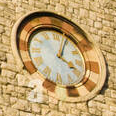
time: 4:04
